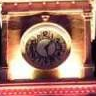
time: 1:28
